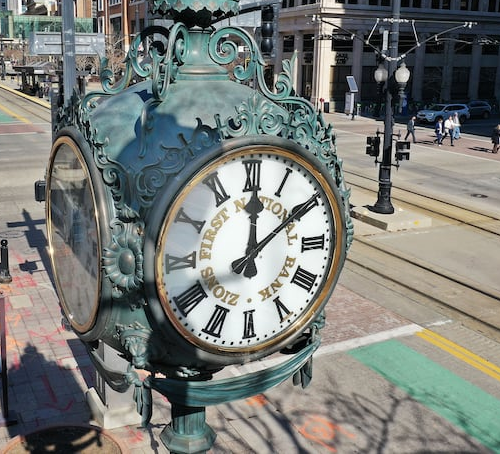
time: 12:09
